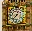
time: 12:37
